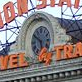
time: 5:49
